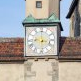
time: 3:29
